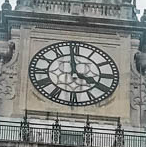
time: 3:58
